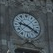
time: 9:20
